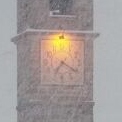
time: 7:20
